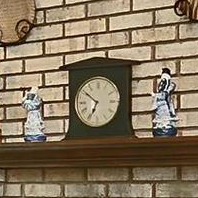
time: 6:50
